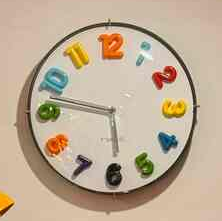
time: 5:46
